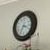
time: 3:35
